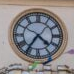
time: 4:35
